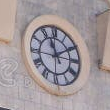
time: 11:10
